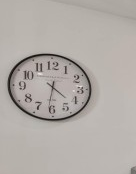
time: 4:31
